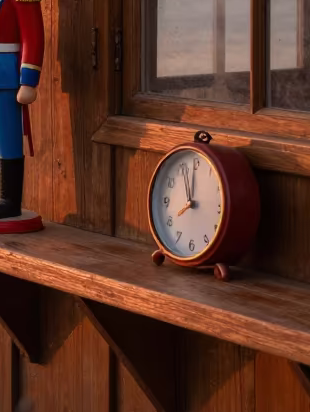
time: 10:59
